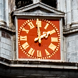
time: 1:59
